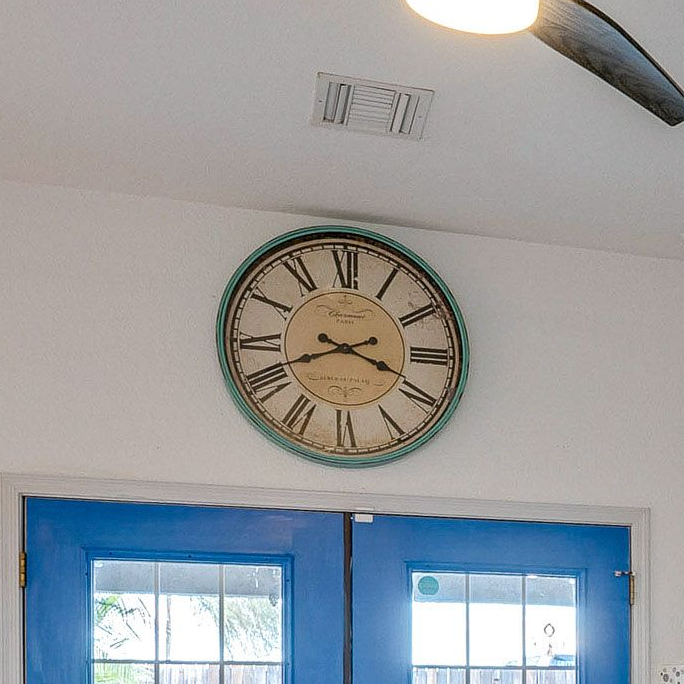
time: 3:41
